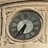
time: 6:36
